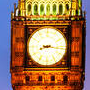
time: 8:16
